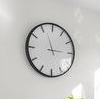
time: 2:56
